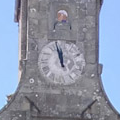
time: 11:57
